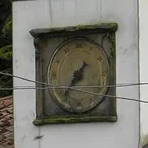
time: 7:36
